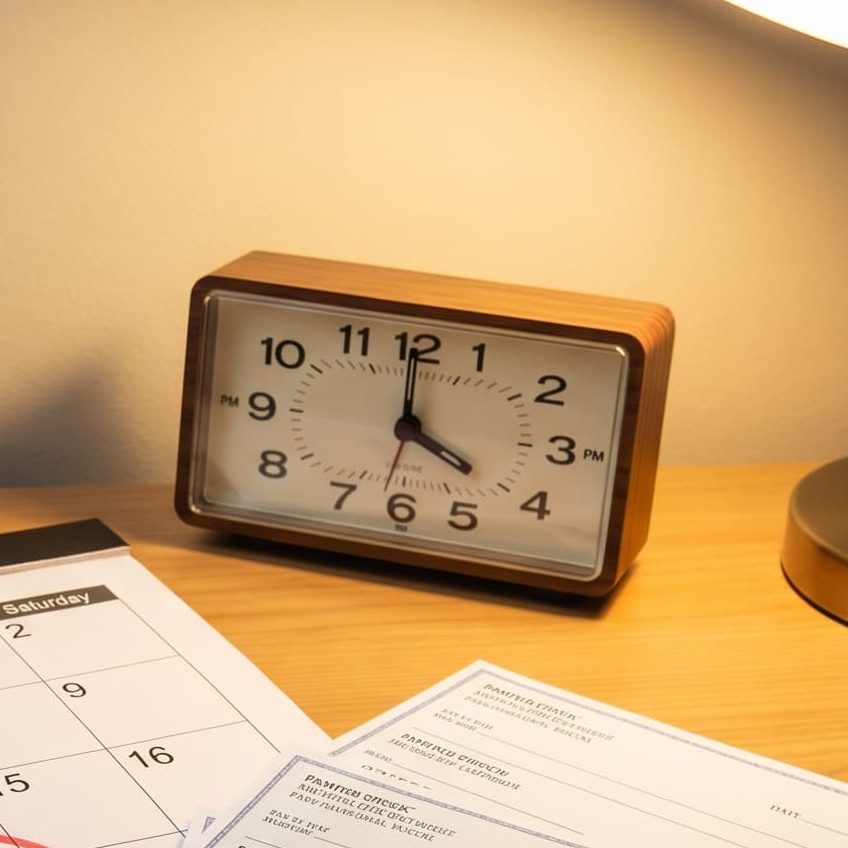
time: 4:00
